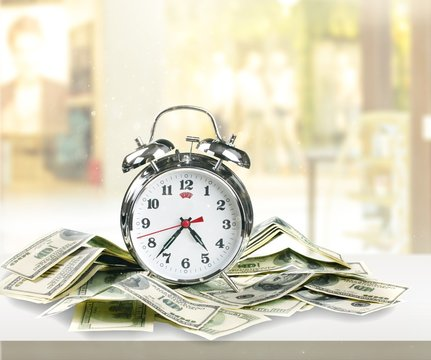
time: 4:36
